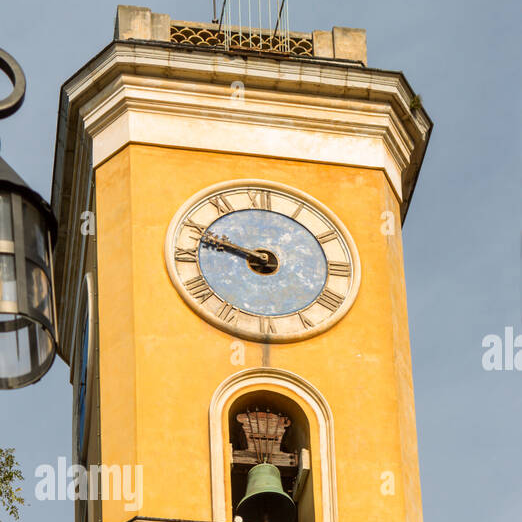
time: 9:47
